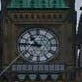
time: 10:45
